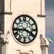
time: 3:43
